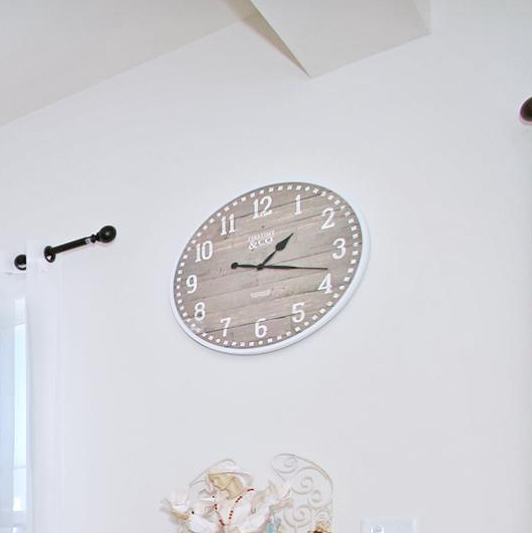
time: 1:18
